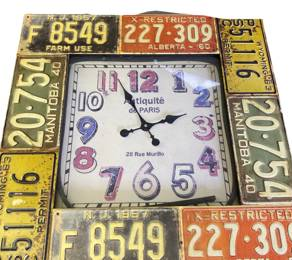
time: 1:55
